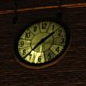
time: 1:37
